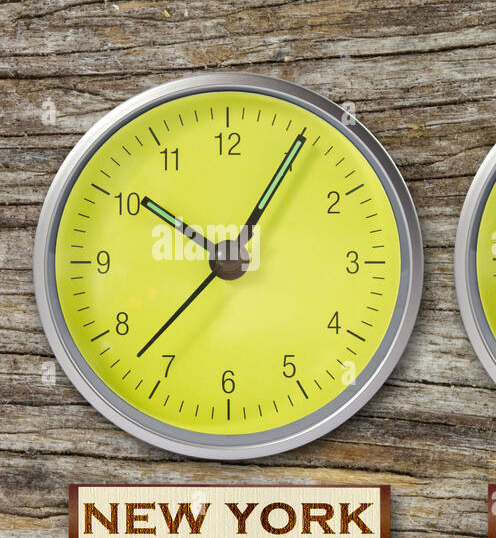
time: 10:05
